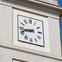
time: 8:42
